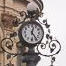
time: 12:23
